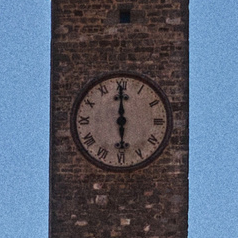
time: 5:59
